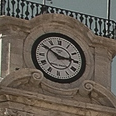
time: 2:50
